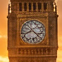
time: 8:21
